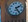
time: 2:24
